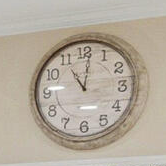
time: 11:01
